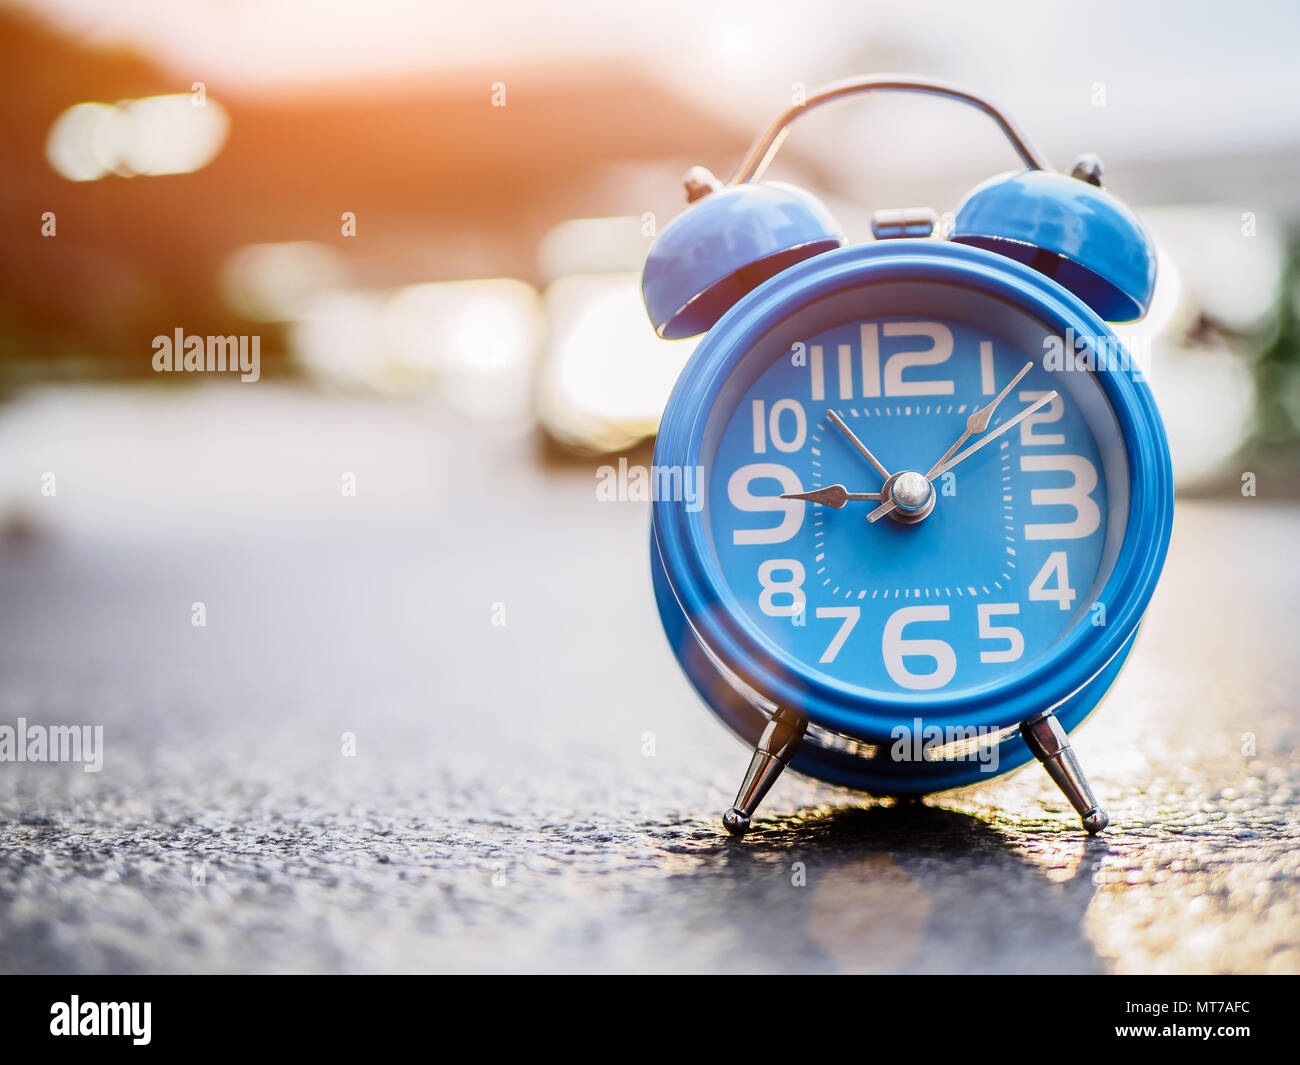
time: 9:08
